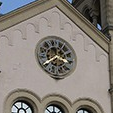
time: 3:39
